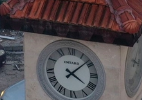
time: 4:08
